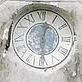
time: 12:29
